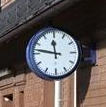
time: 11:46
